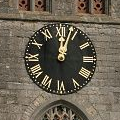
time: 12:03
